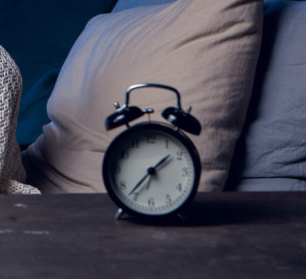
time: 1:36
